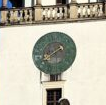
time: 1:39
